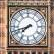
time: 7:42
